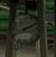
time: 2:10
